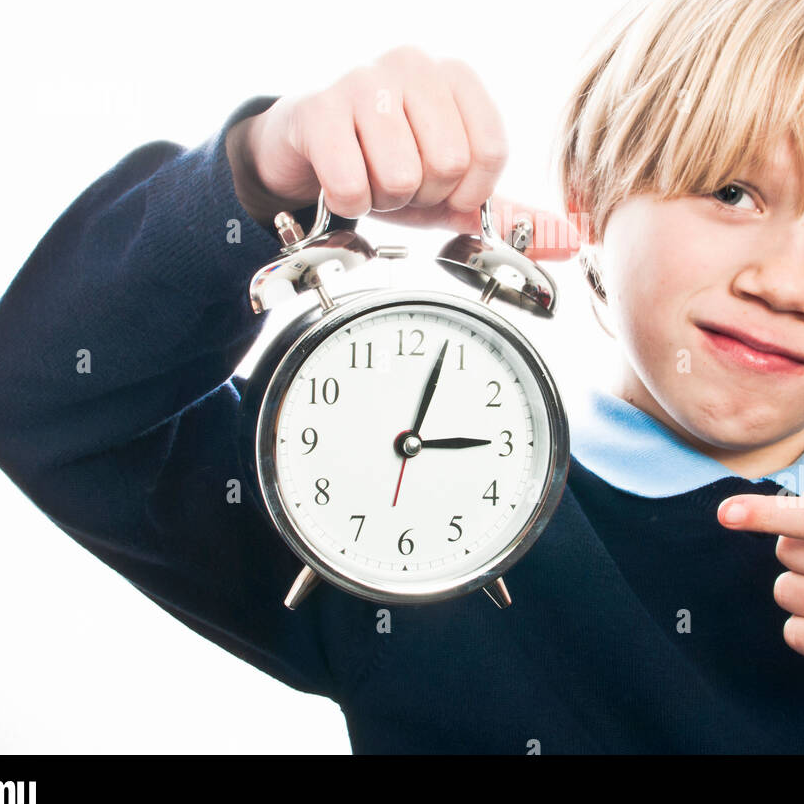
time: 3:03
